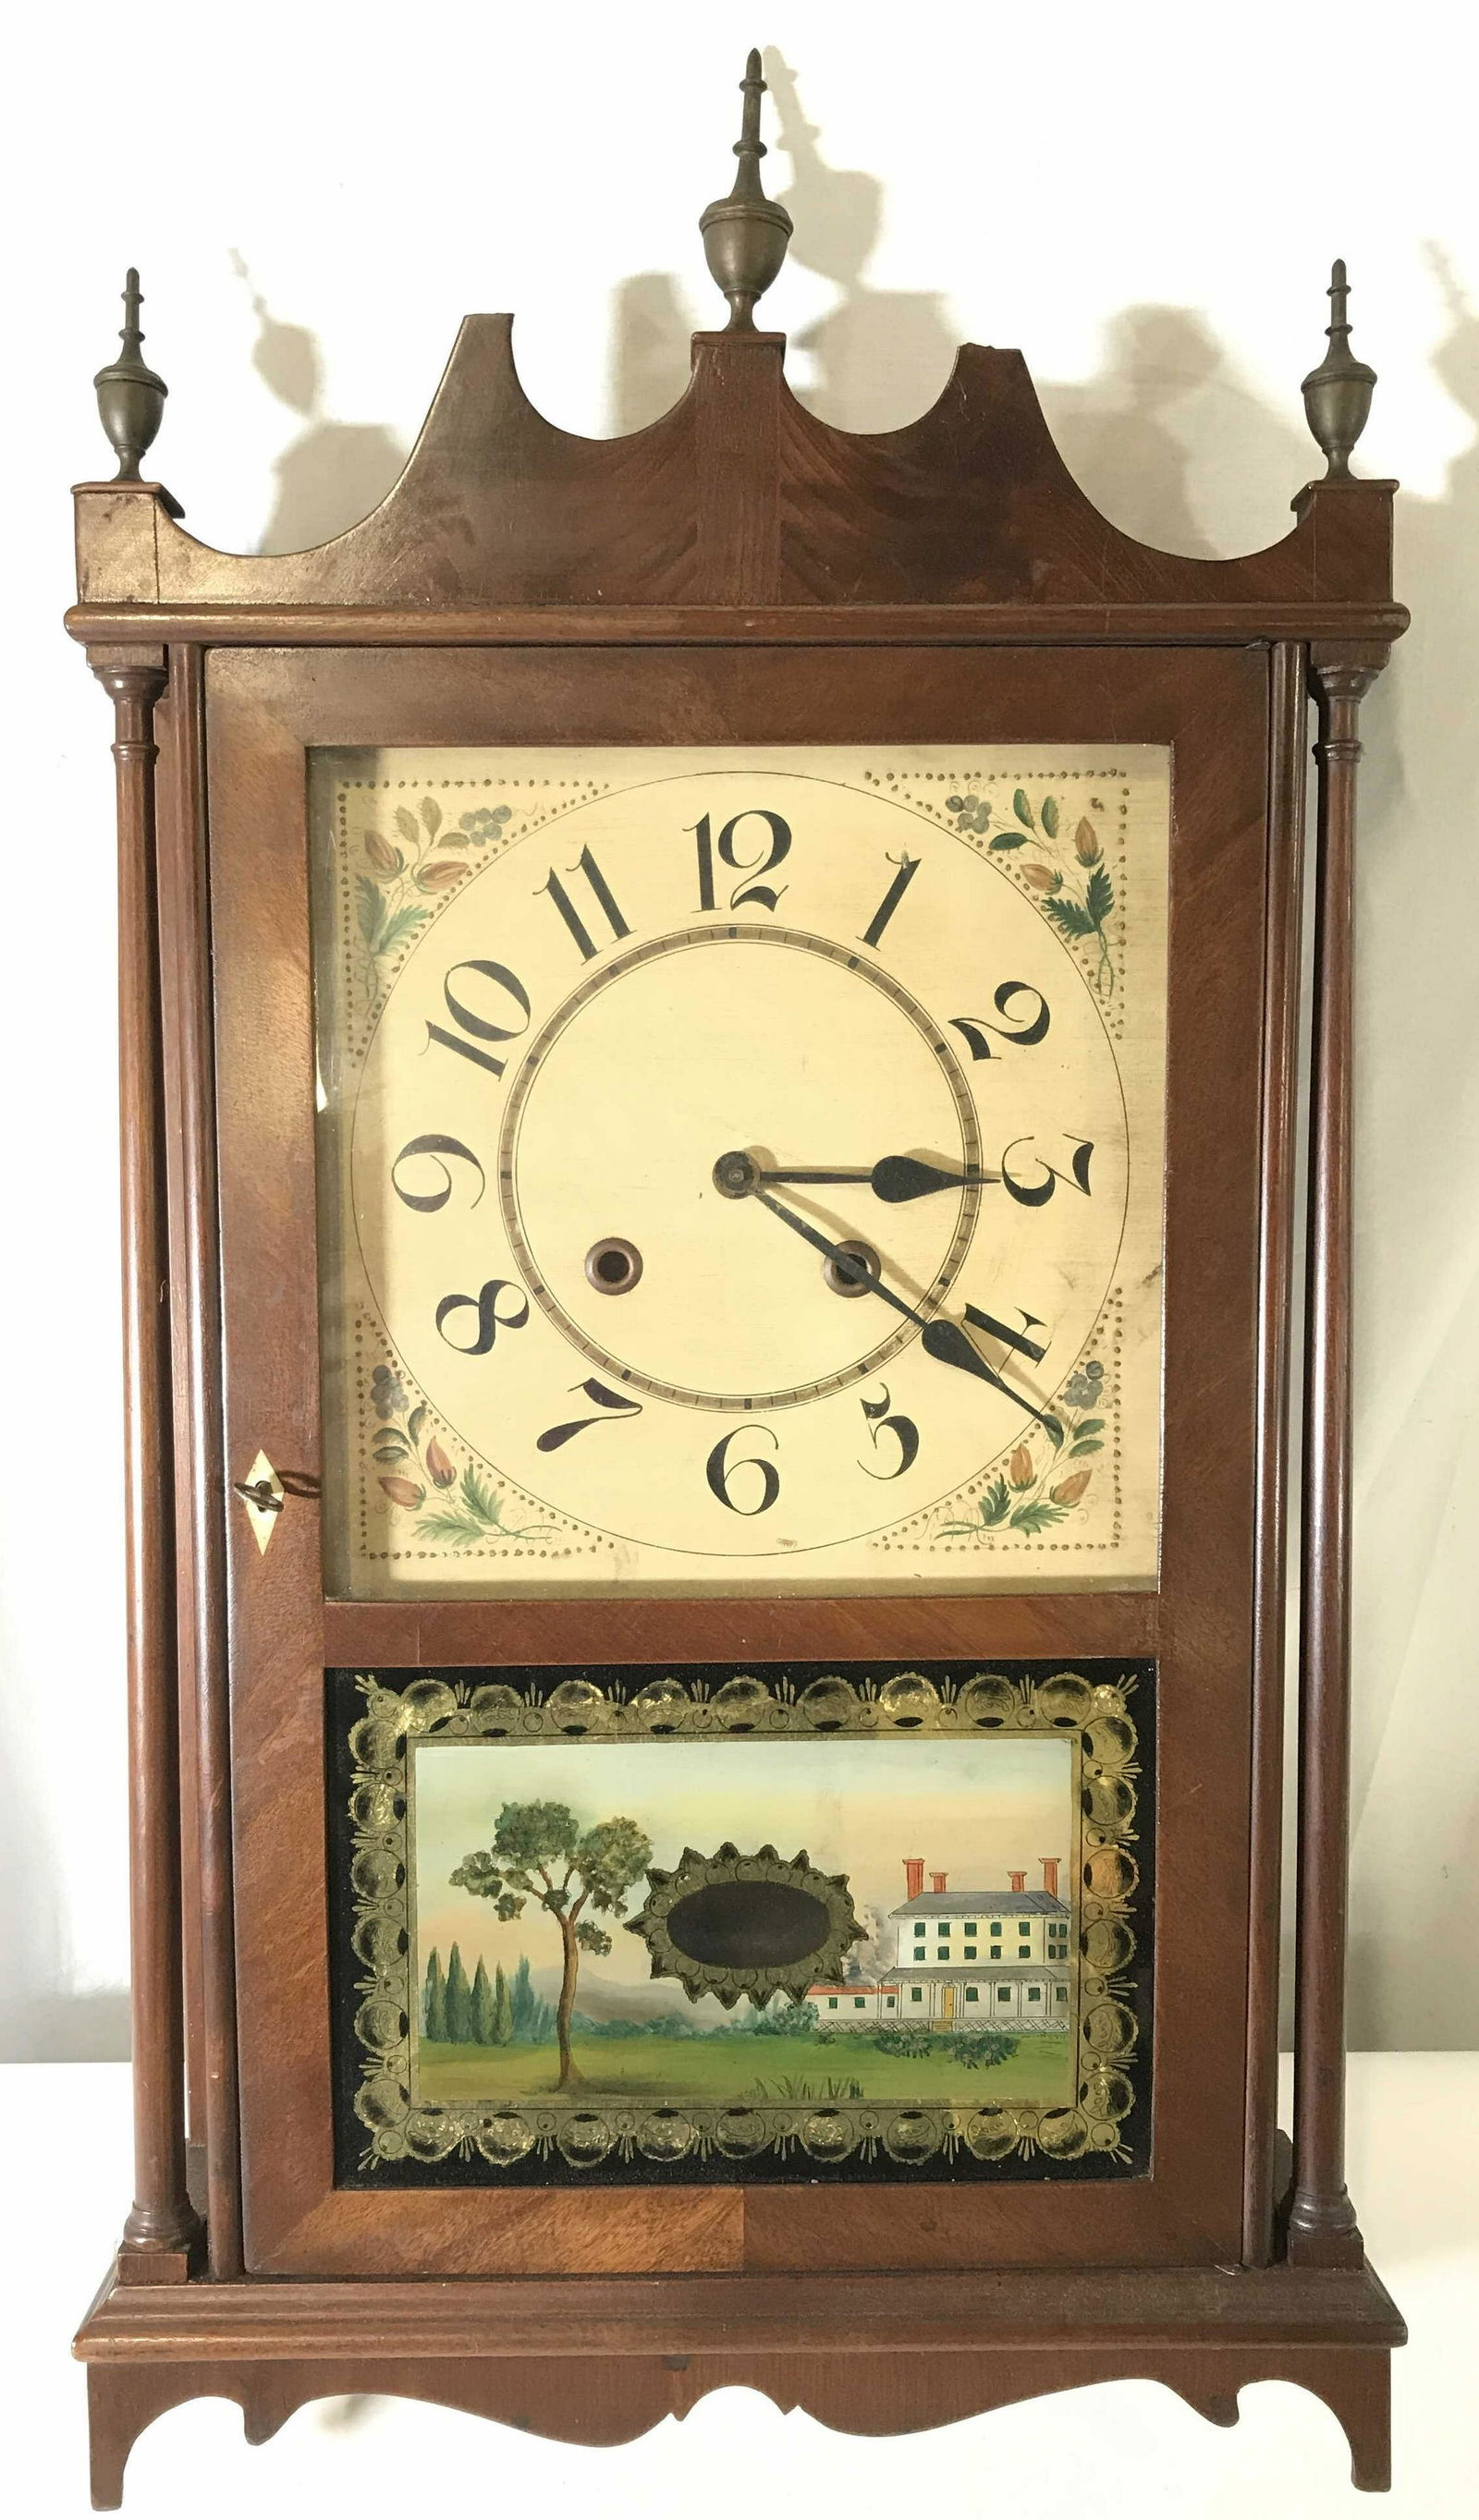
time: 3:21
